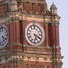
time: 5:18
